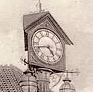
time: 4:42
